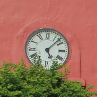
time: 5:07
